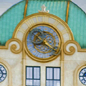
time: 8:20
